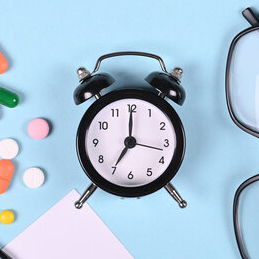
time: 7:00
